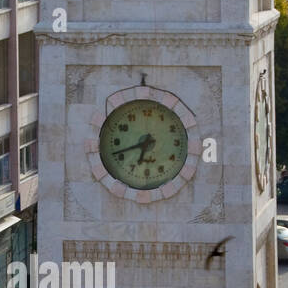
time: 6:41
